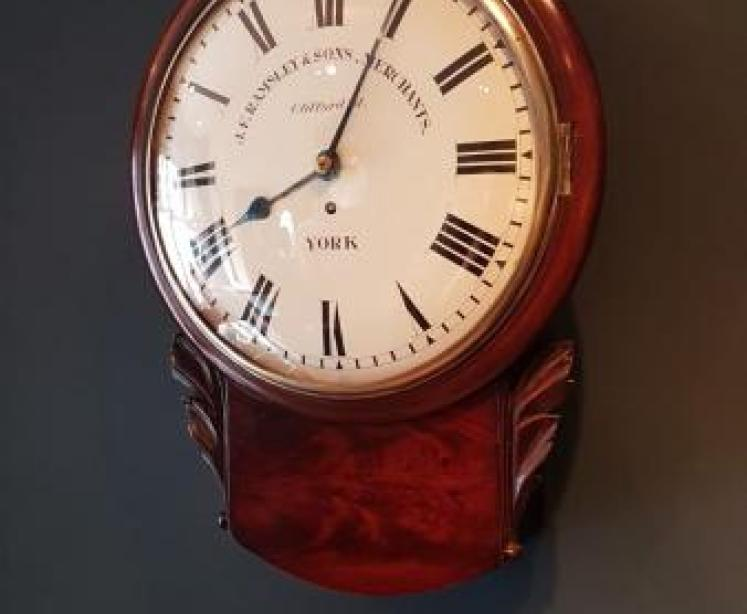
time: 8:04
